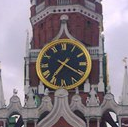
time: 7:20
